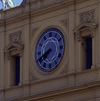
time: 7:41
